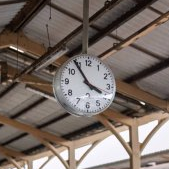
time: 3:54
